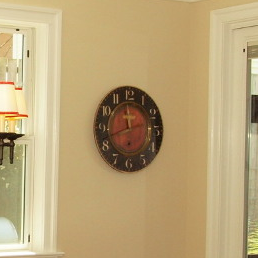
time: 11:42
